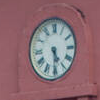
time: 5:30
